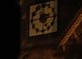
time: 2:24
